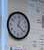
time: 12:21
